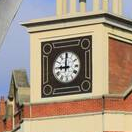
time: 9:00
